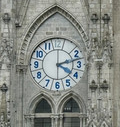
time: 4:12
